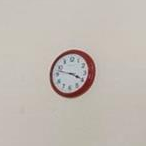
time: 3:47
